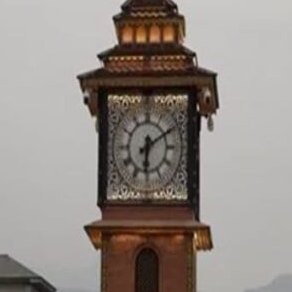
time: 6:10
